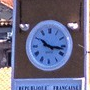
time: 10:16
